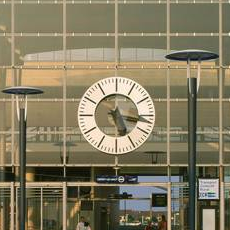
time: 5:16
